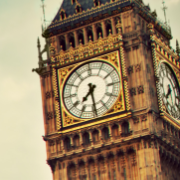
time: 7:29
